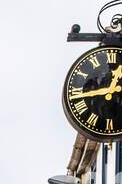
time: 12:43
